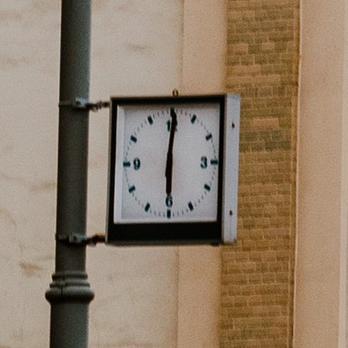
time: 6:00
